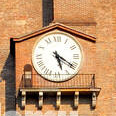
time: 5:20
